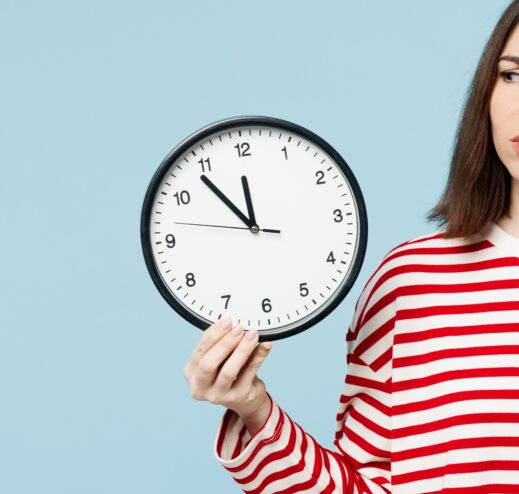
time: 11:53
